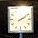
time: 2:09
